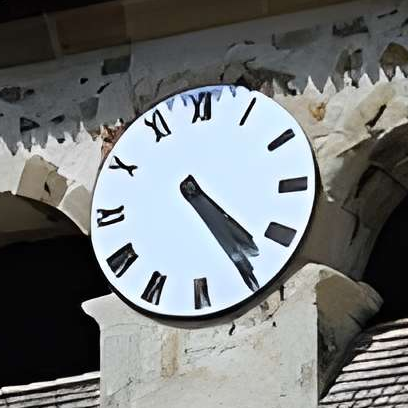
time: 4:24
